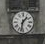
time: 1:32
